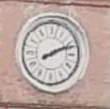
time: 2:11
